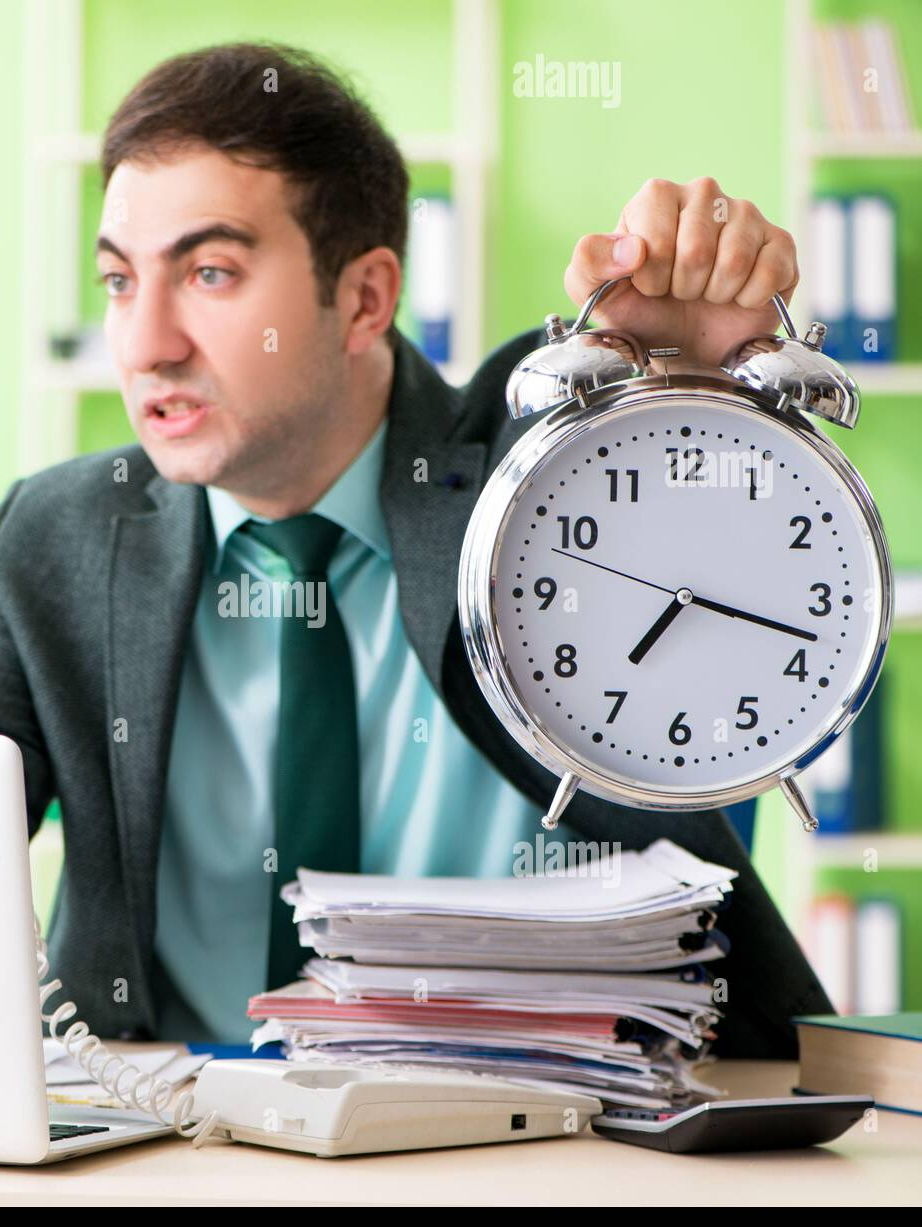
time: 7:17
